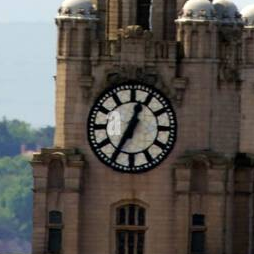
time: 12:34
